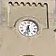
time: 5:31
